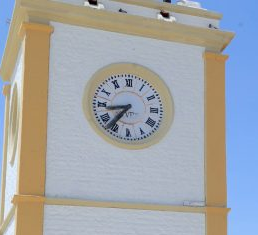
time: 8:36
